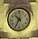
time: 10:35
